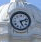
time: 5:12
